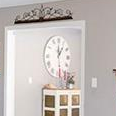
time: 1:28
